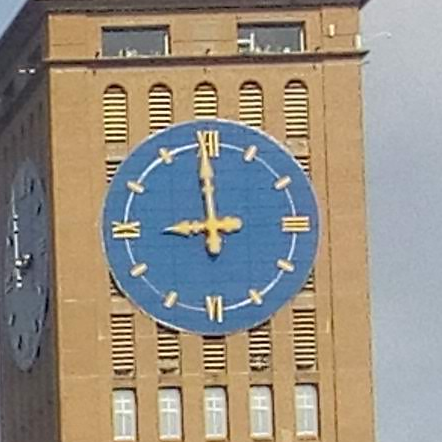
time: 8:59
